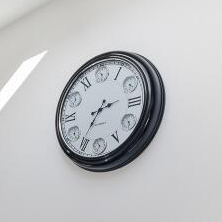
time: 2:35
